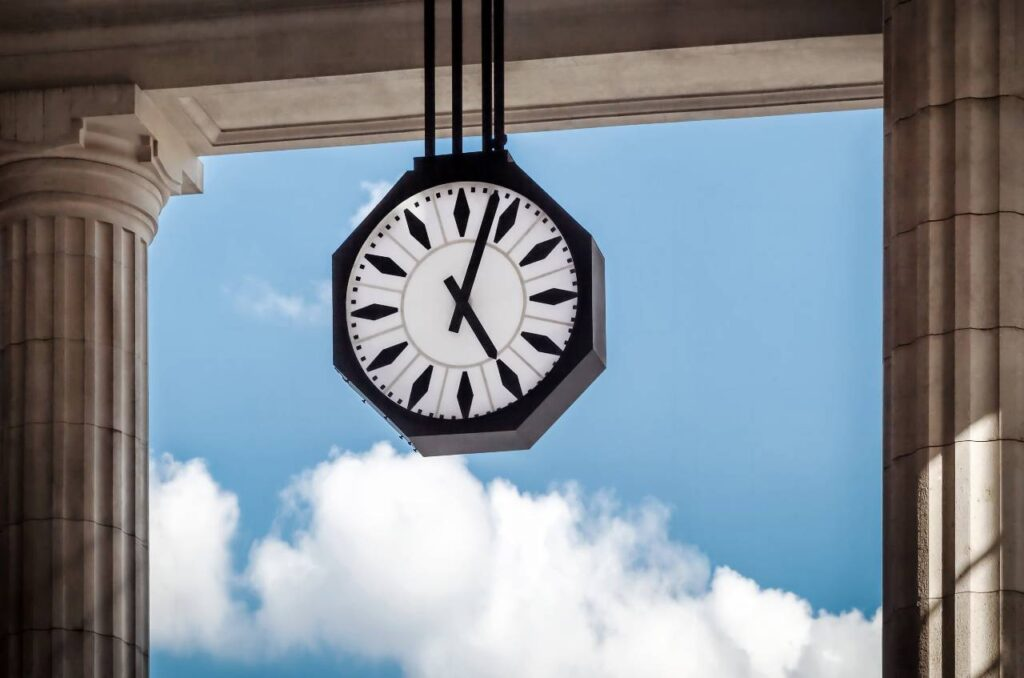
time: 5:03
